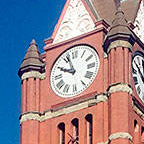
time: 9:56
